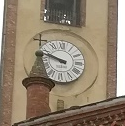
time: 9:47
